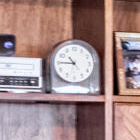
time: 10:45
